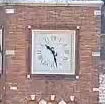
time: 10:27
